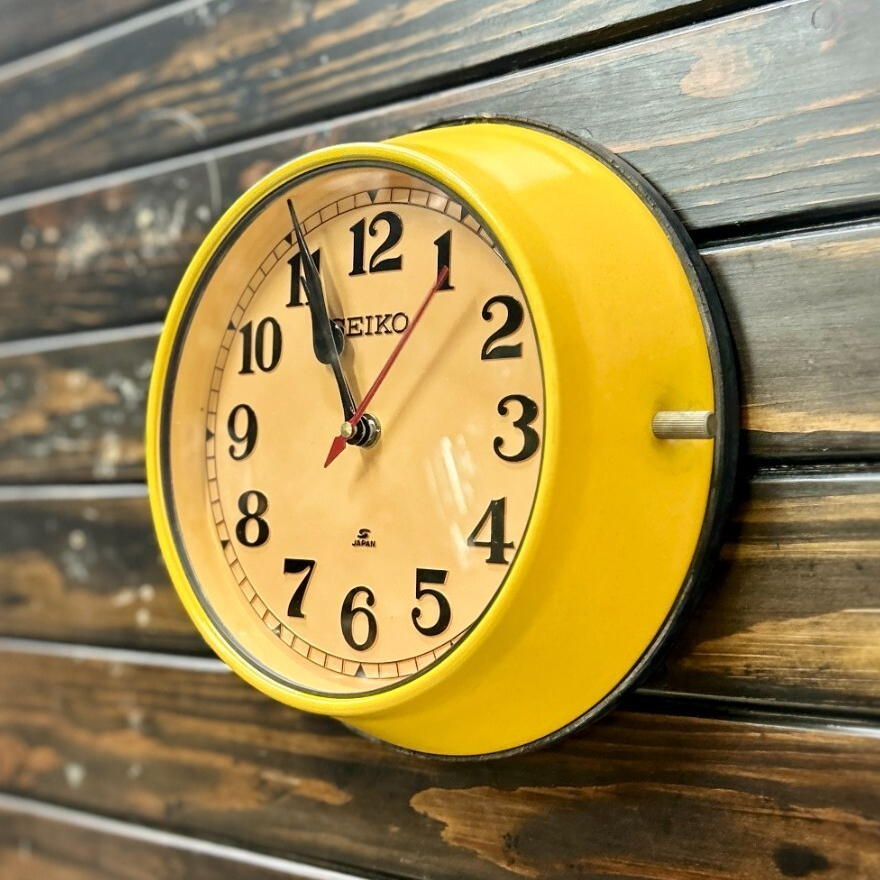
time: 10:55
